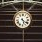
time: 5:21
